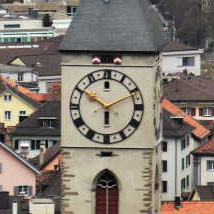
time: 5:50
